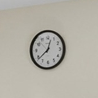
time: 12:38
